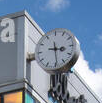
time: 3:29
